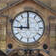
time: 8:59
